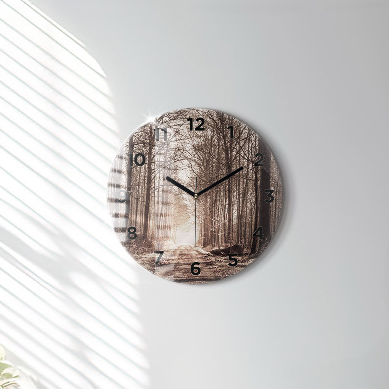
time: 10:10
